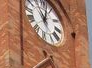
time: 11:02
